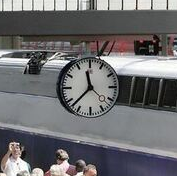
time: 11:37
